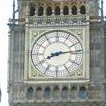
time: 8:13
